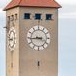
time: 3:43
